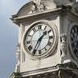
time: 1:35
